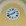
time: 1:41
